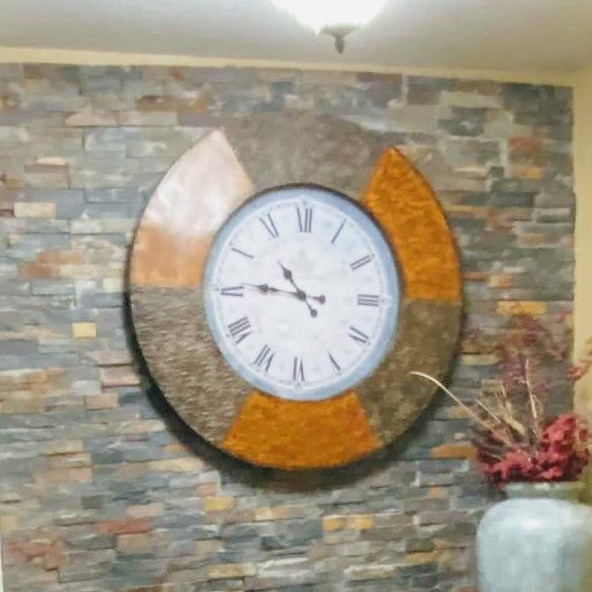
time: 10:45
